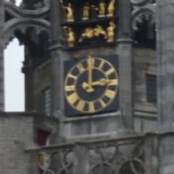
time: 2:59
